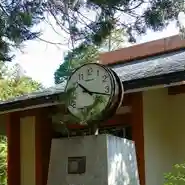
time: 10:17
